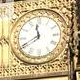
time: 11:40
